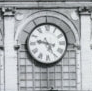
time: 9:25
